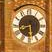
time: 5:42
